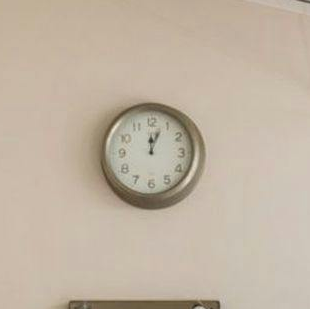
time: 12:03
